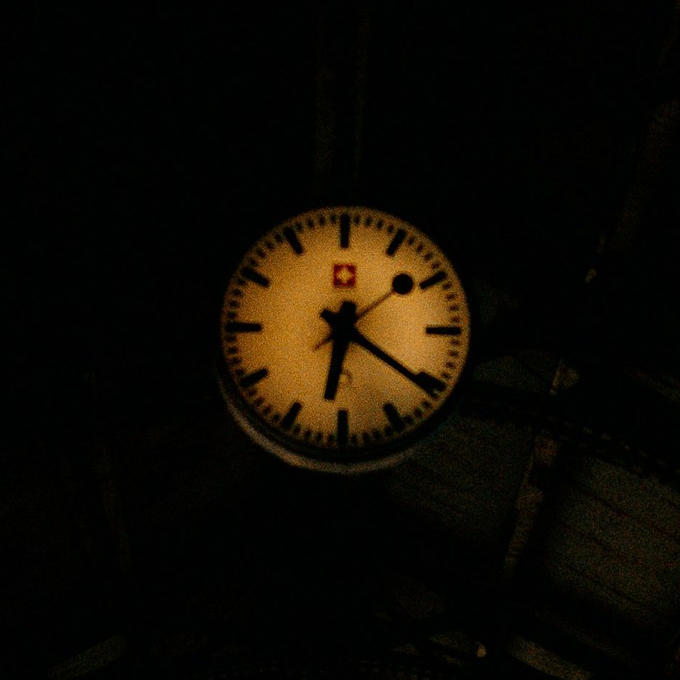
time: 6:20
